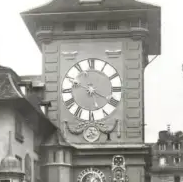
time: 5:19
